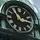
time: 2:54
